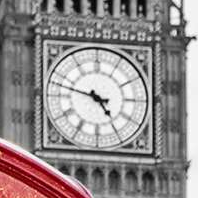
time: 4:47
